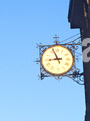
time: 8:56
